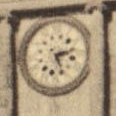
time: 2:25
